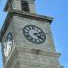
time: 4:12
